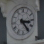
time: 3:24
